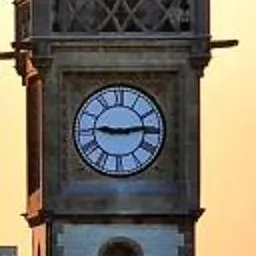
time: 9:13
